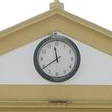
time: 11:39
